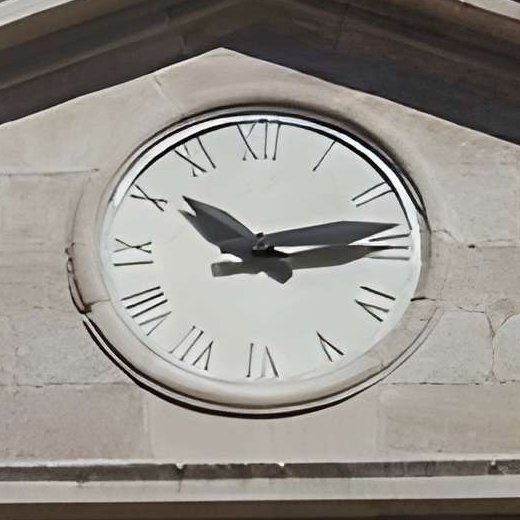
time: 10:13
